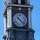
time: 10:22
